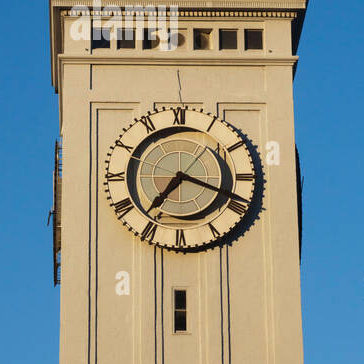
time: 7:18
